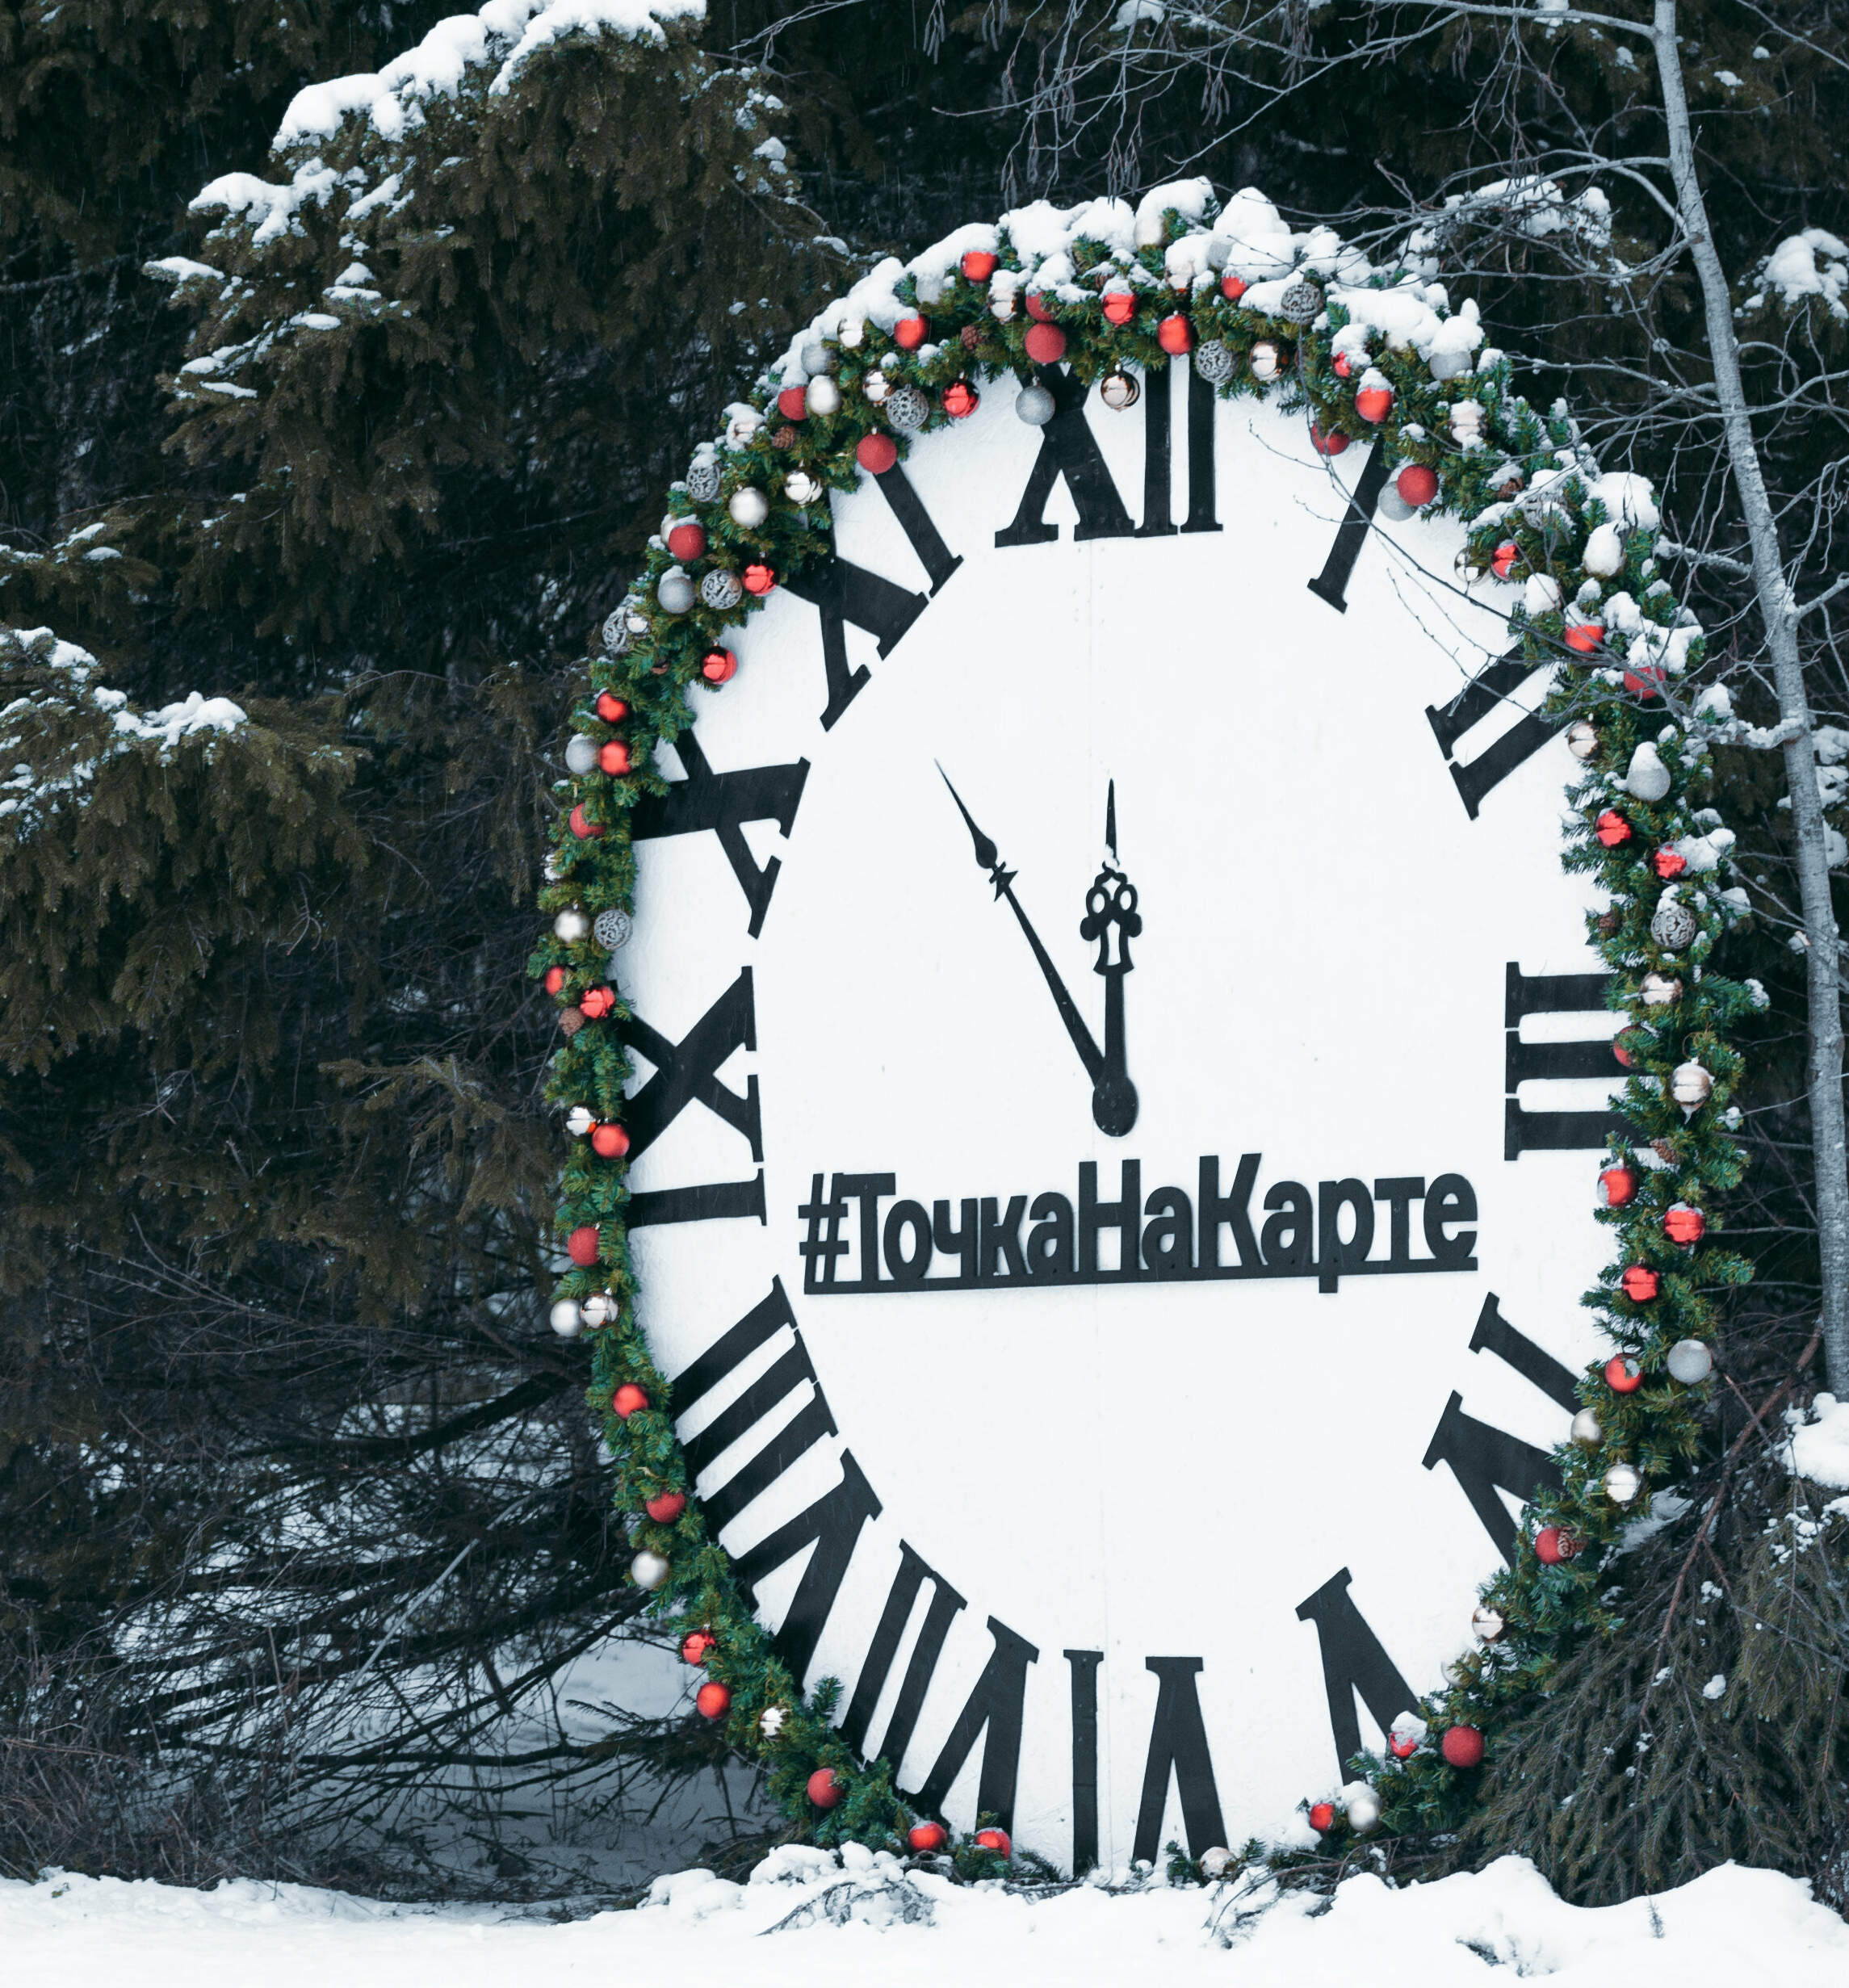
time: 11:53
